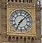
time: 7:08
